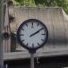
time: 2:09
